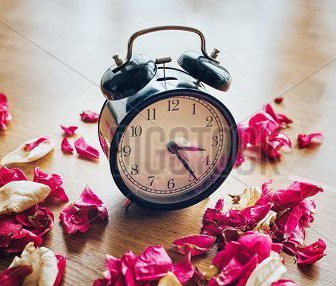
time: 3:24
